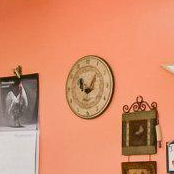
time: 10:06
